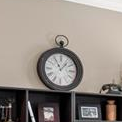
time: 11:06
